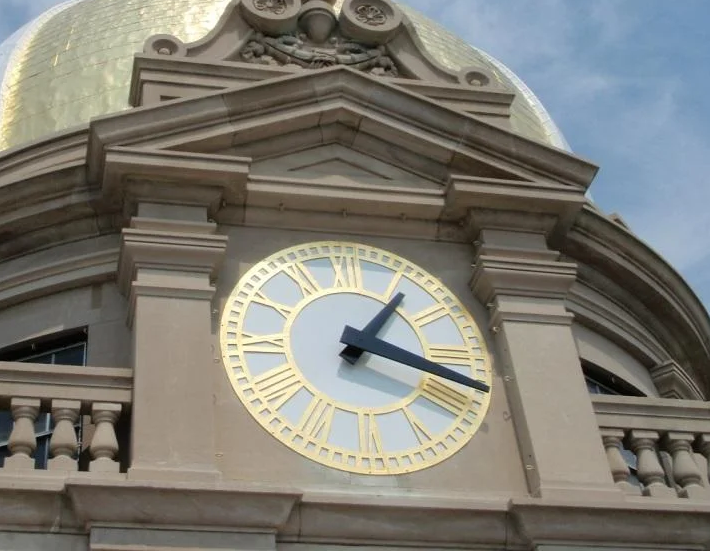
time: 1:18
